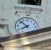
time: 7:52
